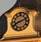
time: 8:11
